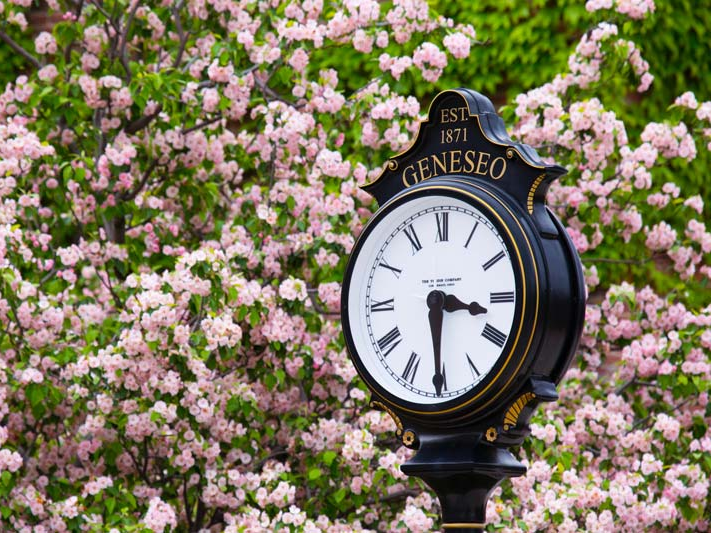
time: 3:29
